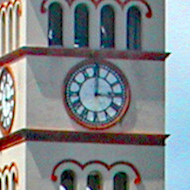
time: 3:00
